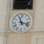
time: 11:17
